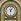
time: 6:06
